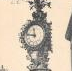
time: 11:46
